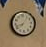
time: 8:06
